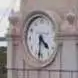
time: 4:31
